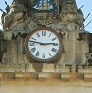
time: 2:46
